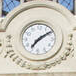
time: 7:09
